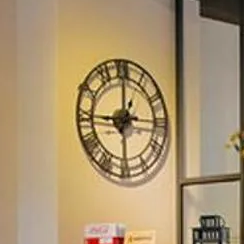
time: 8:00
